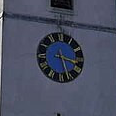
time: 3:27
